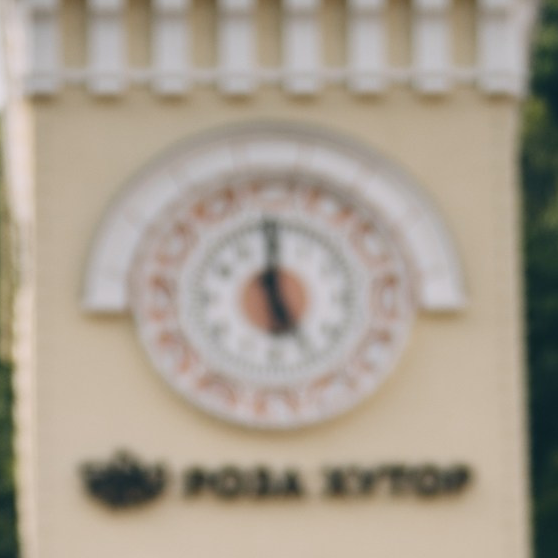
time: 4:59
